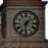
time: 1:31
